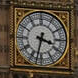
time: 3:32
